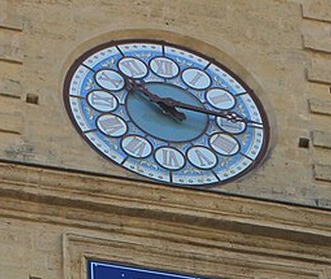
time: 10:15
